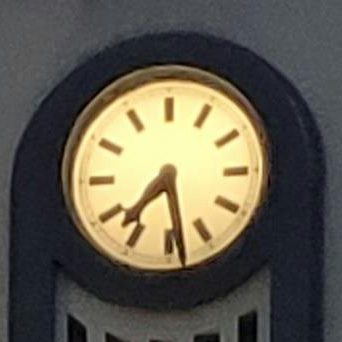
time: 7:28
